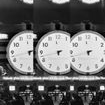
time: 11:42
